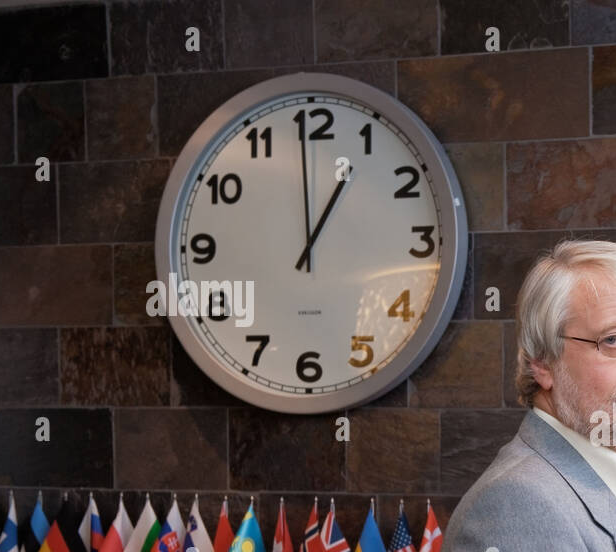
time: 12:59
